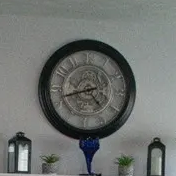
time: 4:42
